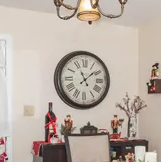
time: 11:08
